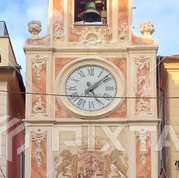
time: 5:08
